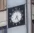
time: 7:24
